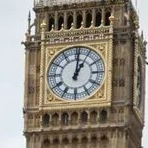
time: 1:01
